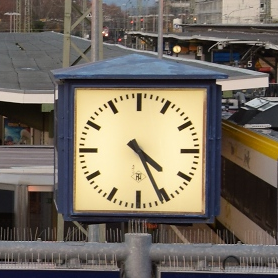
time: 4:26
